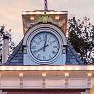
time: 8:01
